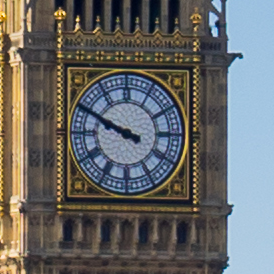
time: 9:49
